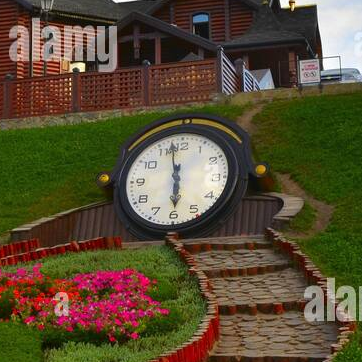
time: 5:57
